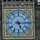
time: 5:14
